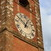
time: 12:52
